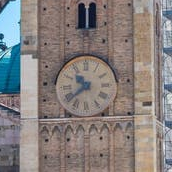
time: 10:38
